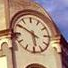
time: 5:50
